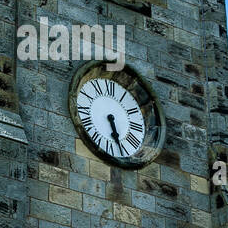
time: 5:26
